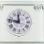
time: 11:46
